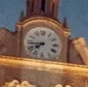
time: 7:43
